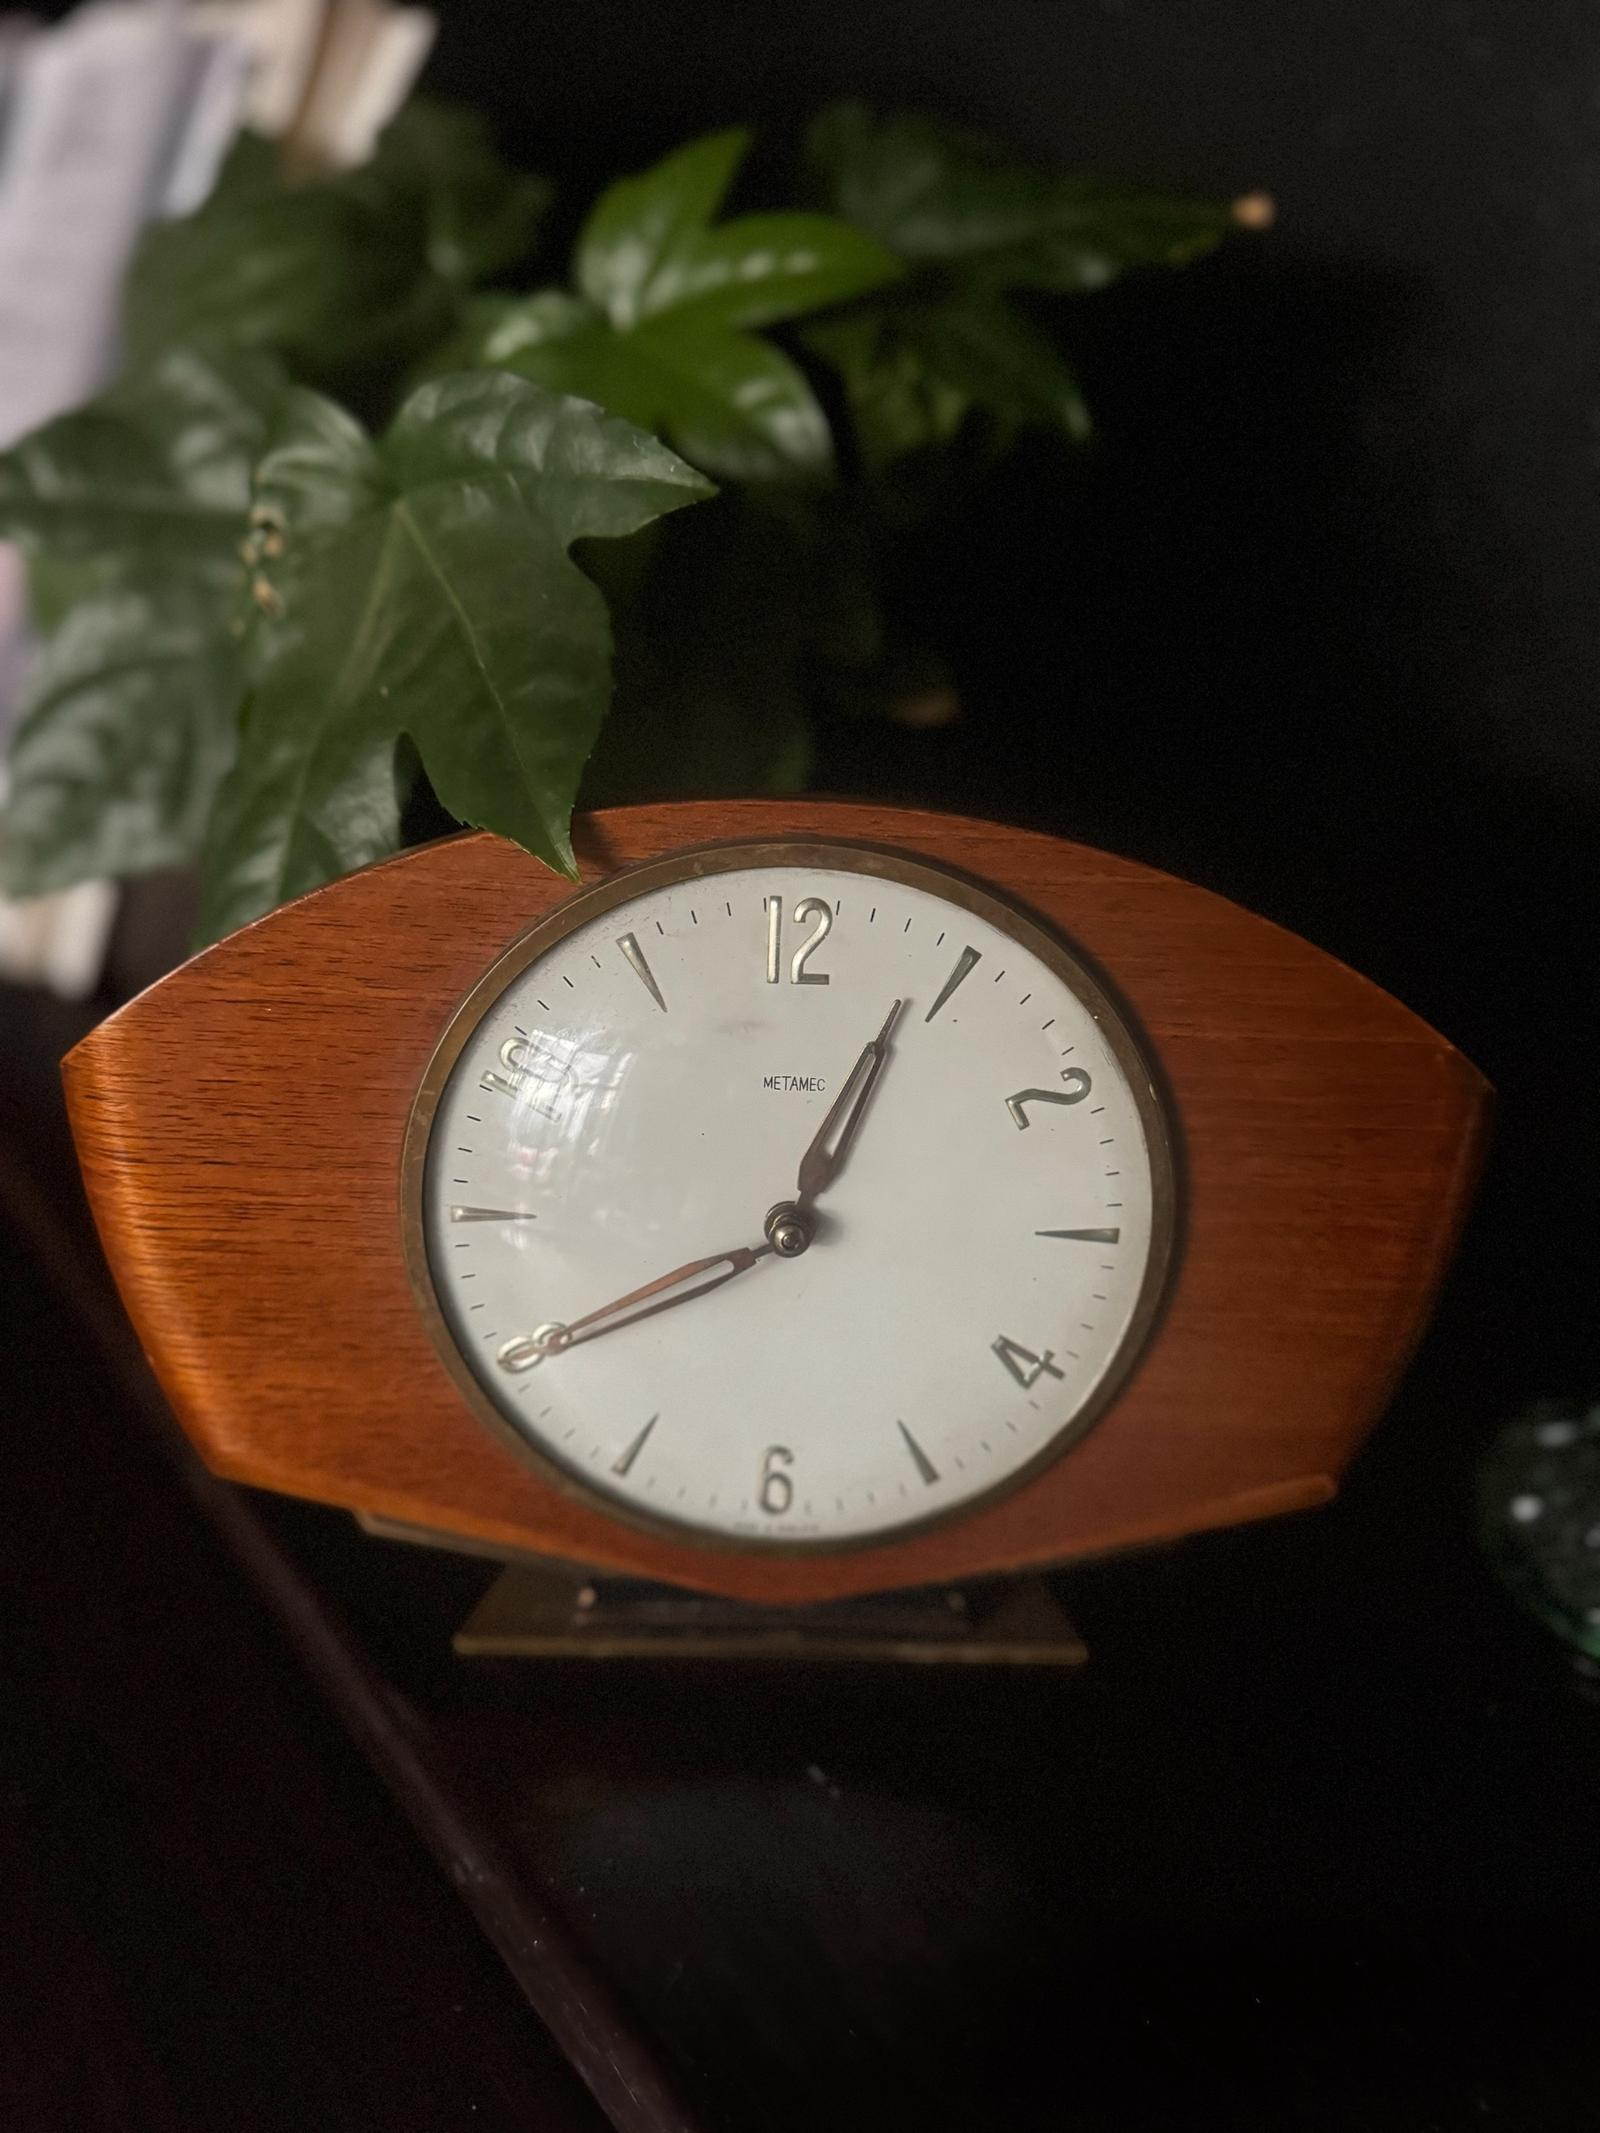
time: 12:40
